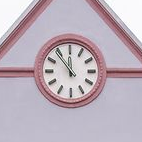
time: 11:53
